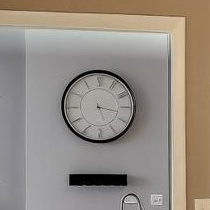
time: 3:26
